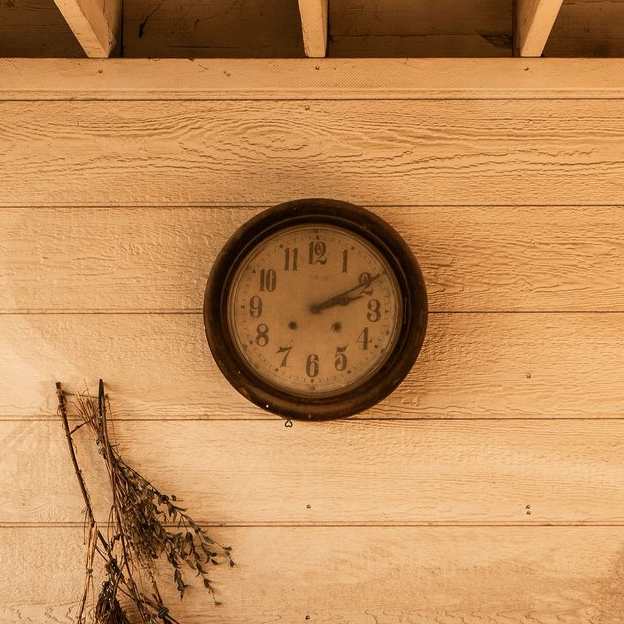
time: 2:09
